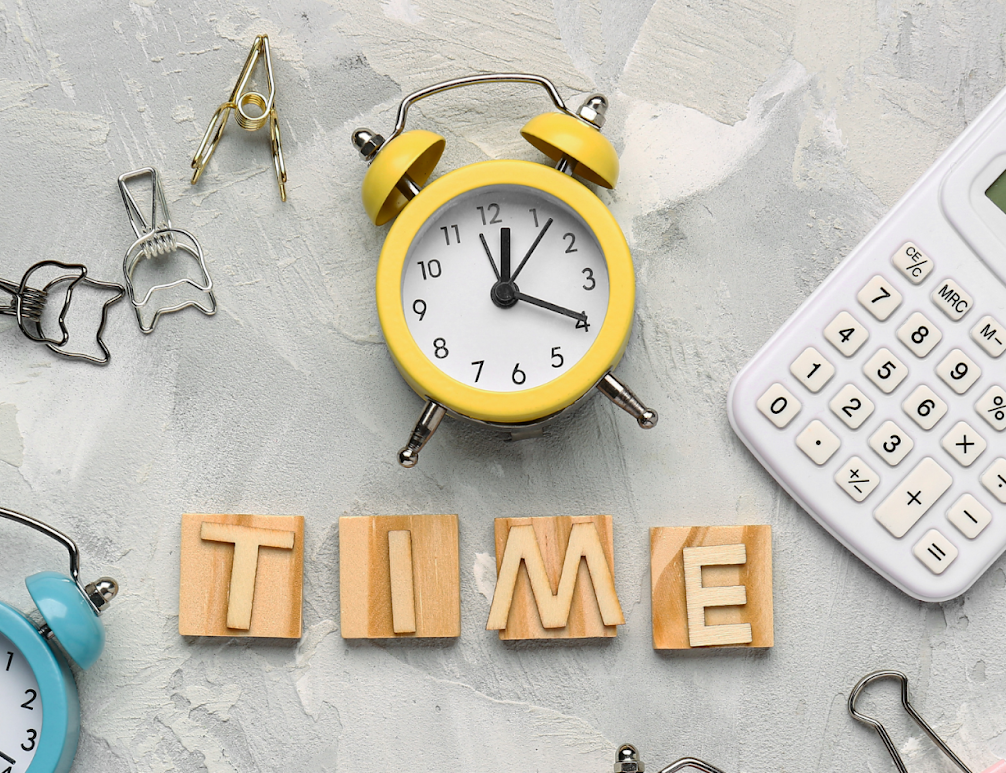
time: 12:19
